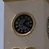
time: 1:20
